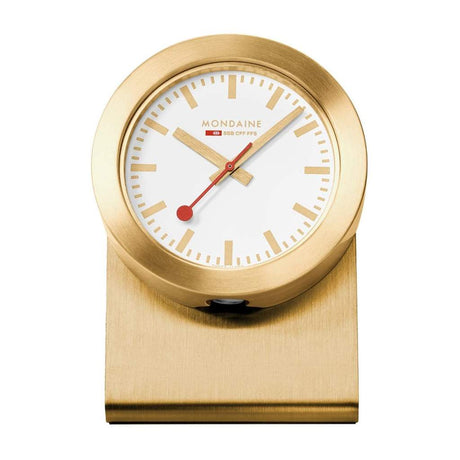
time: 10:07
